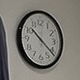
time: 10:21
